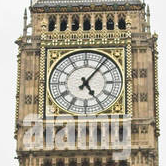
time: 5:06
